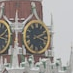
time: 2:18
